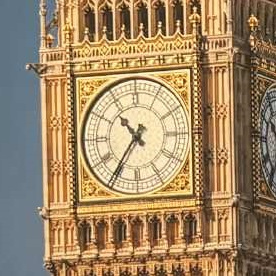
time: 10:36
